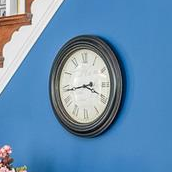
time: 3:43
